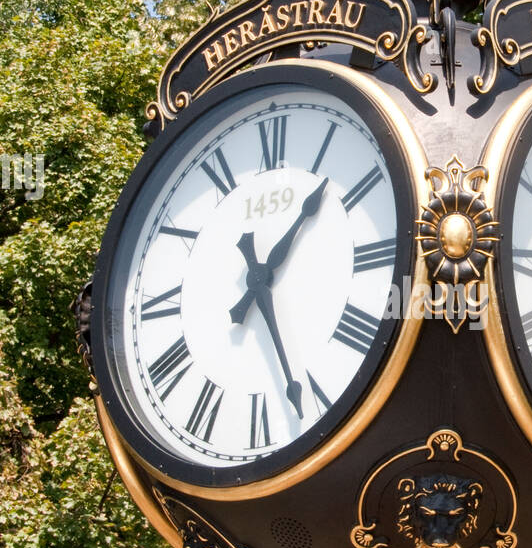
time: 1:26
